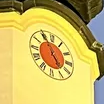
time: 4:55
